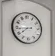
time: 7:44
